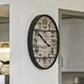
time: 3:50
